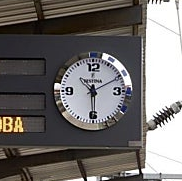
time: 10:30
